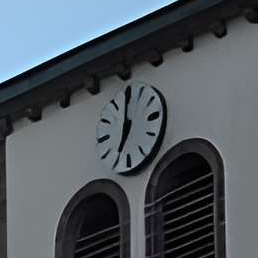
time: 7:00
